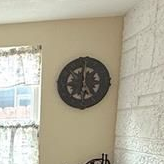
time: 5:00
